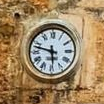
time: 5:47
